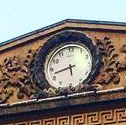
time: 5:42
